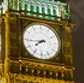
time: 7:44
